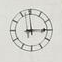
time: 2:59
